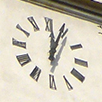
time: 12:03
